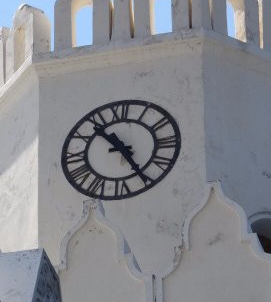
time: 10:25
